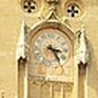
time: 3:24
